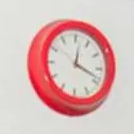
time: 12:18
